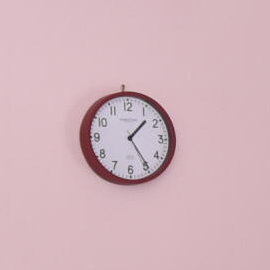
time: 1:24
